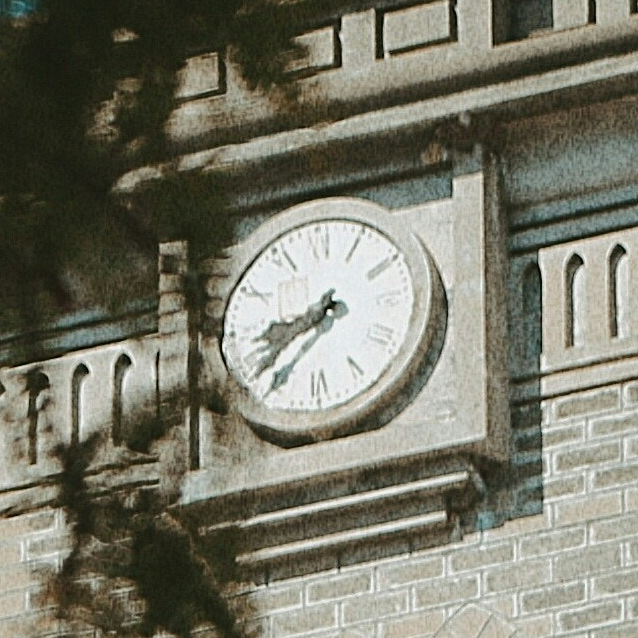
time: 8:38
